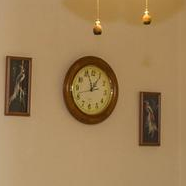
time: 12:56
